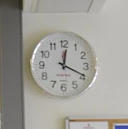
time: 12:19
